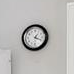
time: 1:18
